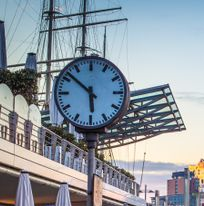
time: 5:51
